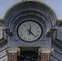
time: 12:22
